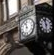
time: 11:32
